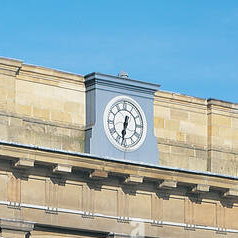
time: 6:32
